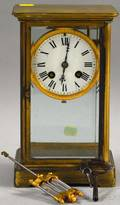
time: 6:01
